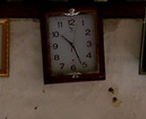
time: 10:25
